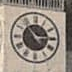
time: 2:53
